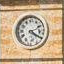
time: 4:20
